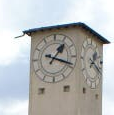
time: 1:18
